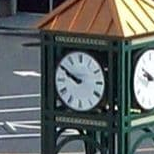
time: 9:50
